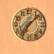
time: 7:07
